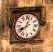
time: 8:02
